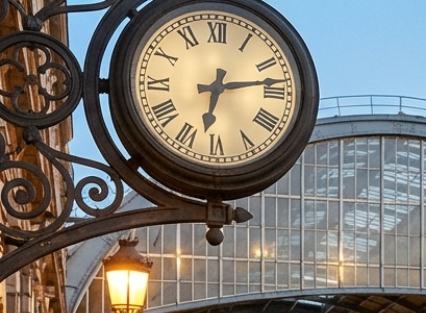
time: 6:13
